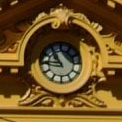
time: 10:45
